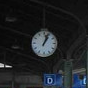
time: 1:03
